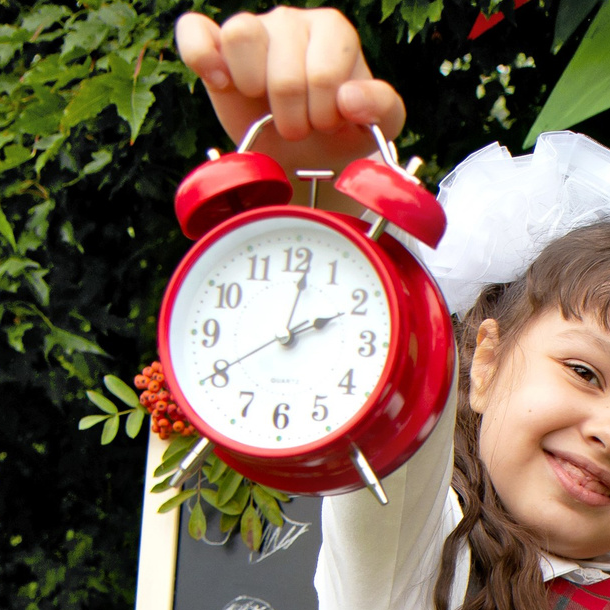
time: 2:01
